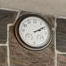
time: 2:09
